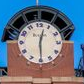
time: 12:29
